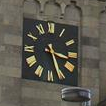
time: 3:26
